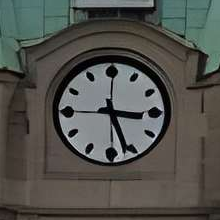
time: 3:26
